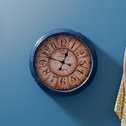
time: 12:48
